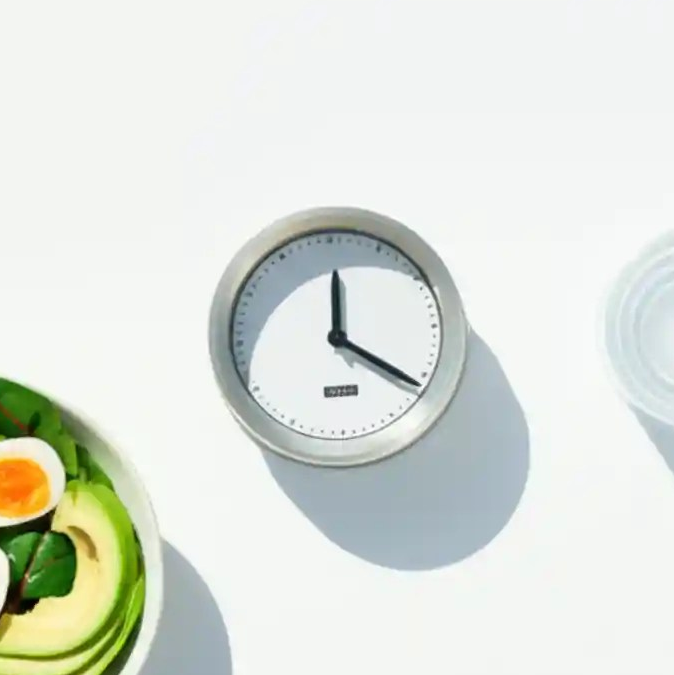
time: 12:20
